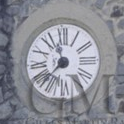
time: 11:37
